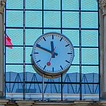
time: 11:48
